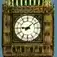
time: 9:08
